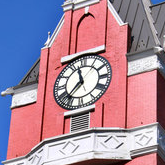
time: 11:37
